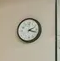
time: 2:18
